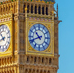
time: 10:41
